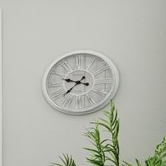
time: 9:38
